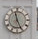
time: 11:25
